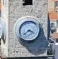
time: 3:38
